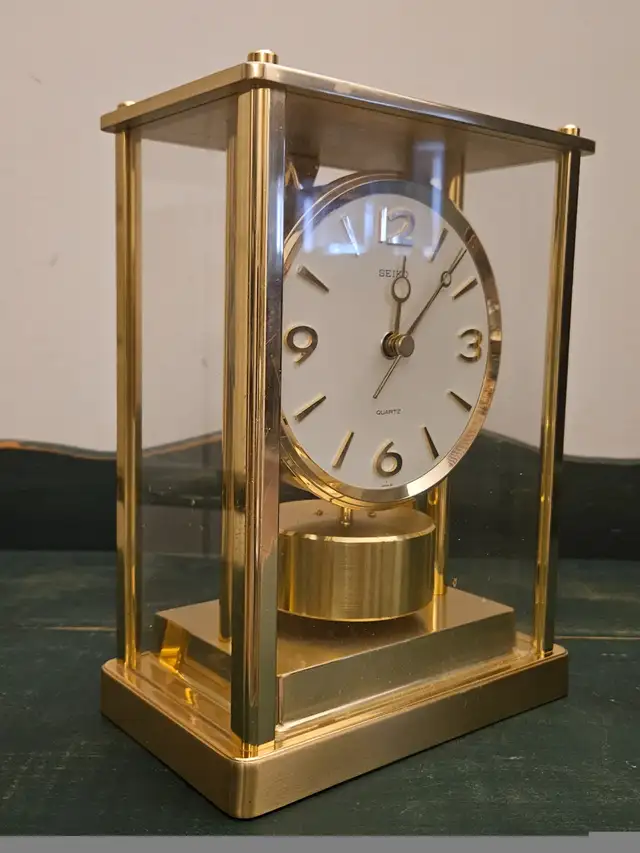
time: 12:07
